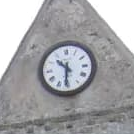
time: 10:31
